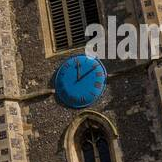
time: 12:10
